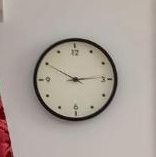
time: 2:49
